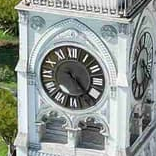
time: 4:22
